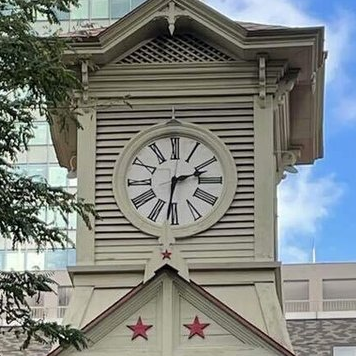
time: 2:31
